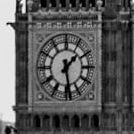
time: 1:28
